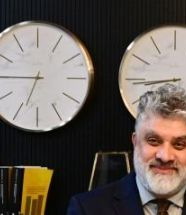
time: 6:45
